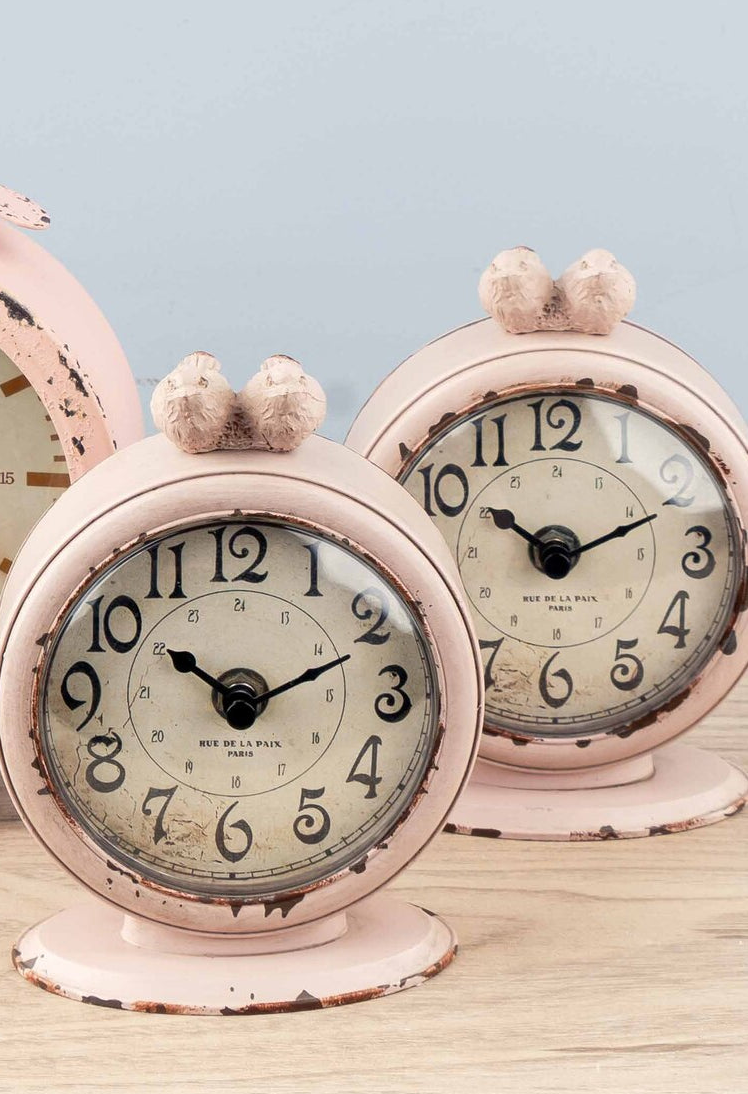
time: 10:11
